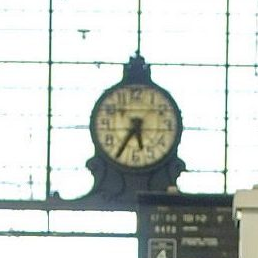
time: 5:35
